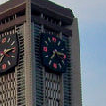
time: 7:15
